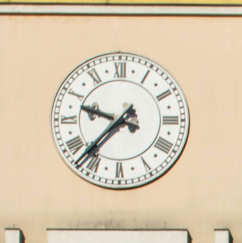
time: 9:37
